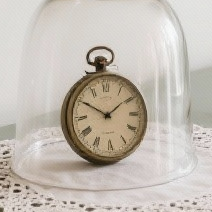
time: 1:50
